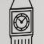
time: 10:07
